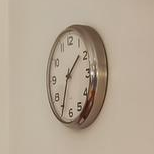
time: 1:33
